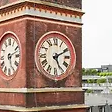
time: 5:10
